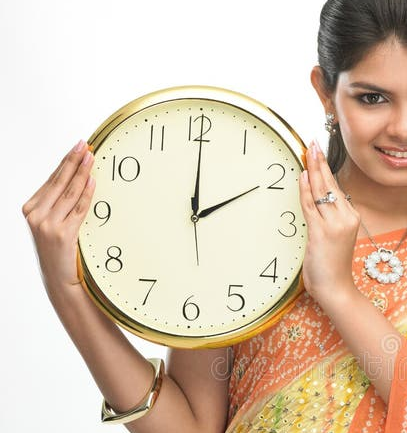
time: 2:00
